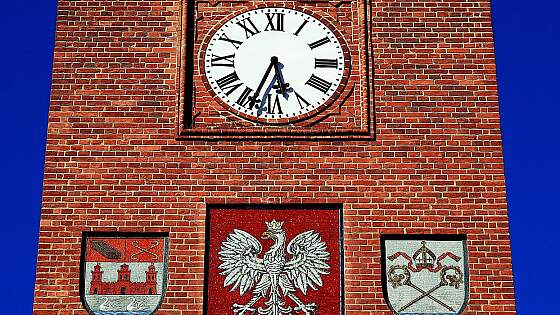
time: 5:33
